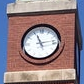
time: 11:13
